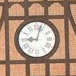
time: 9:03
